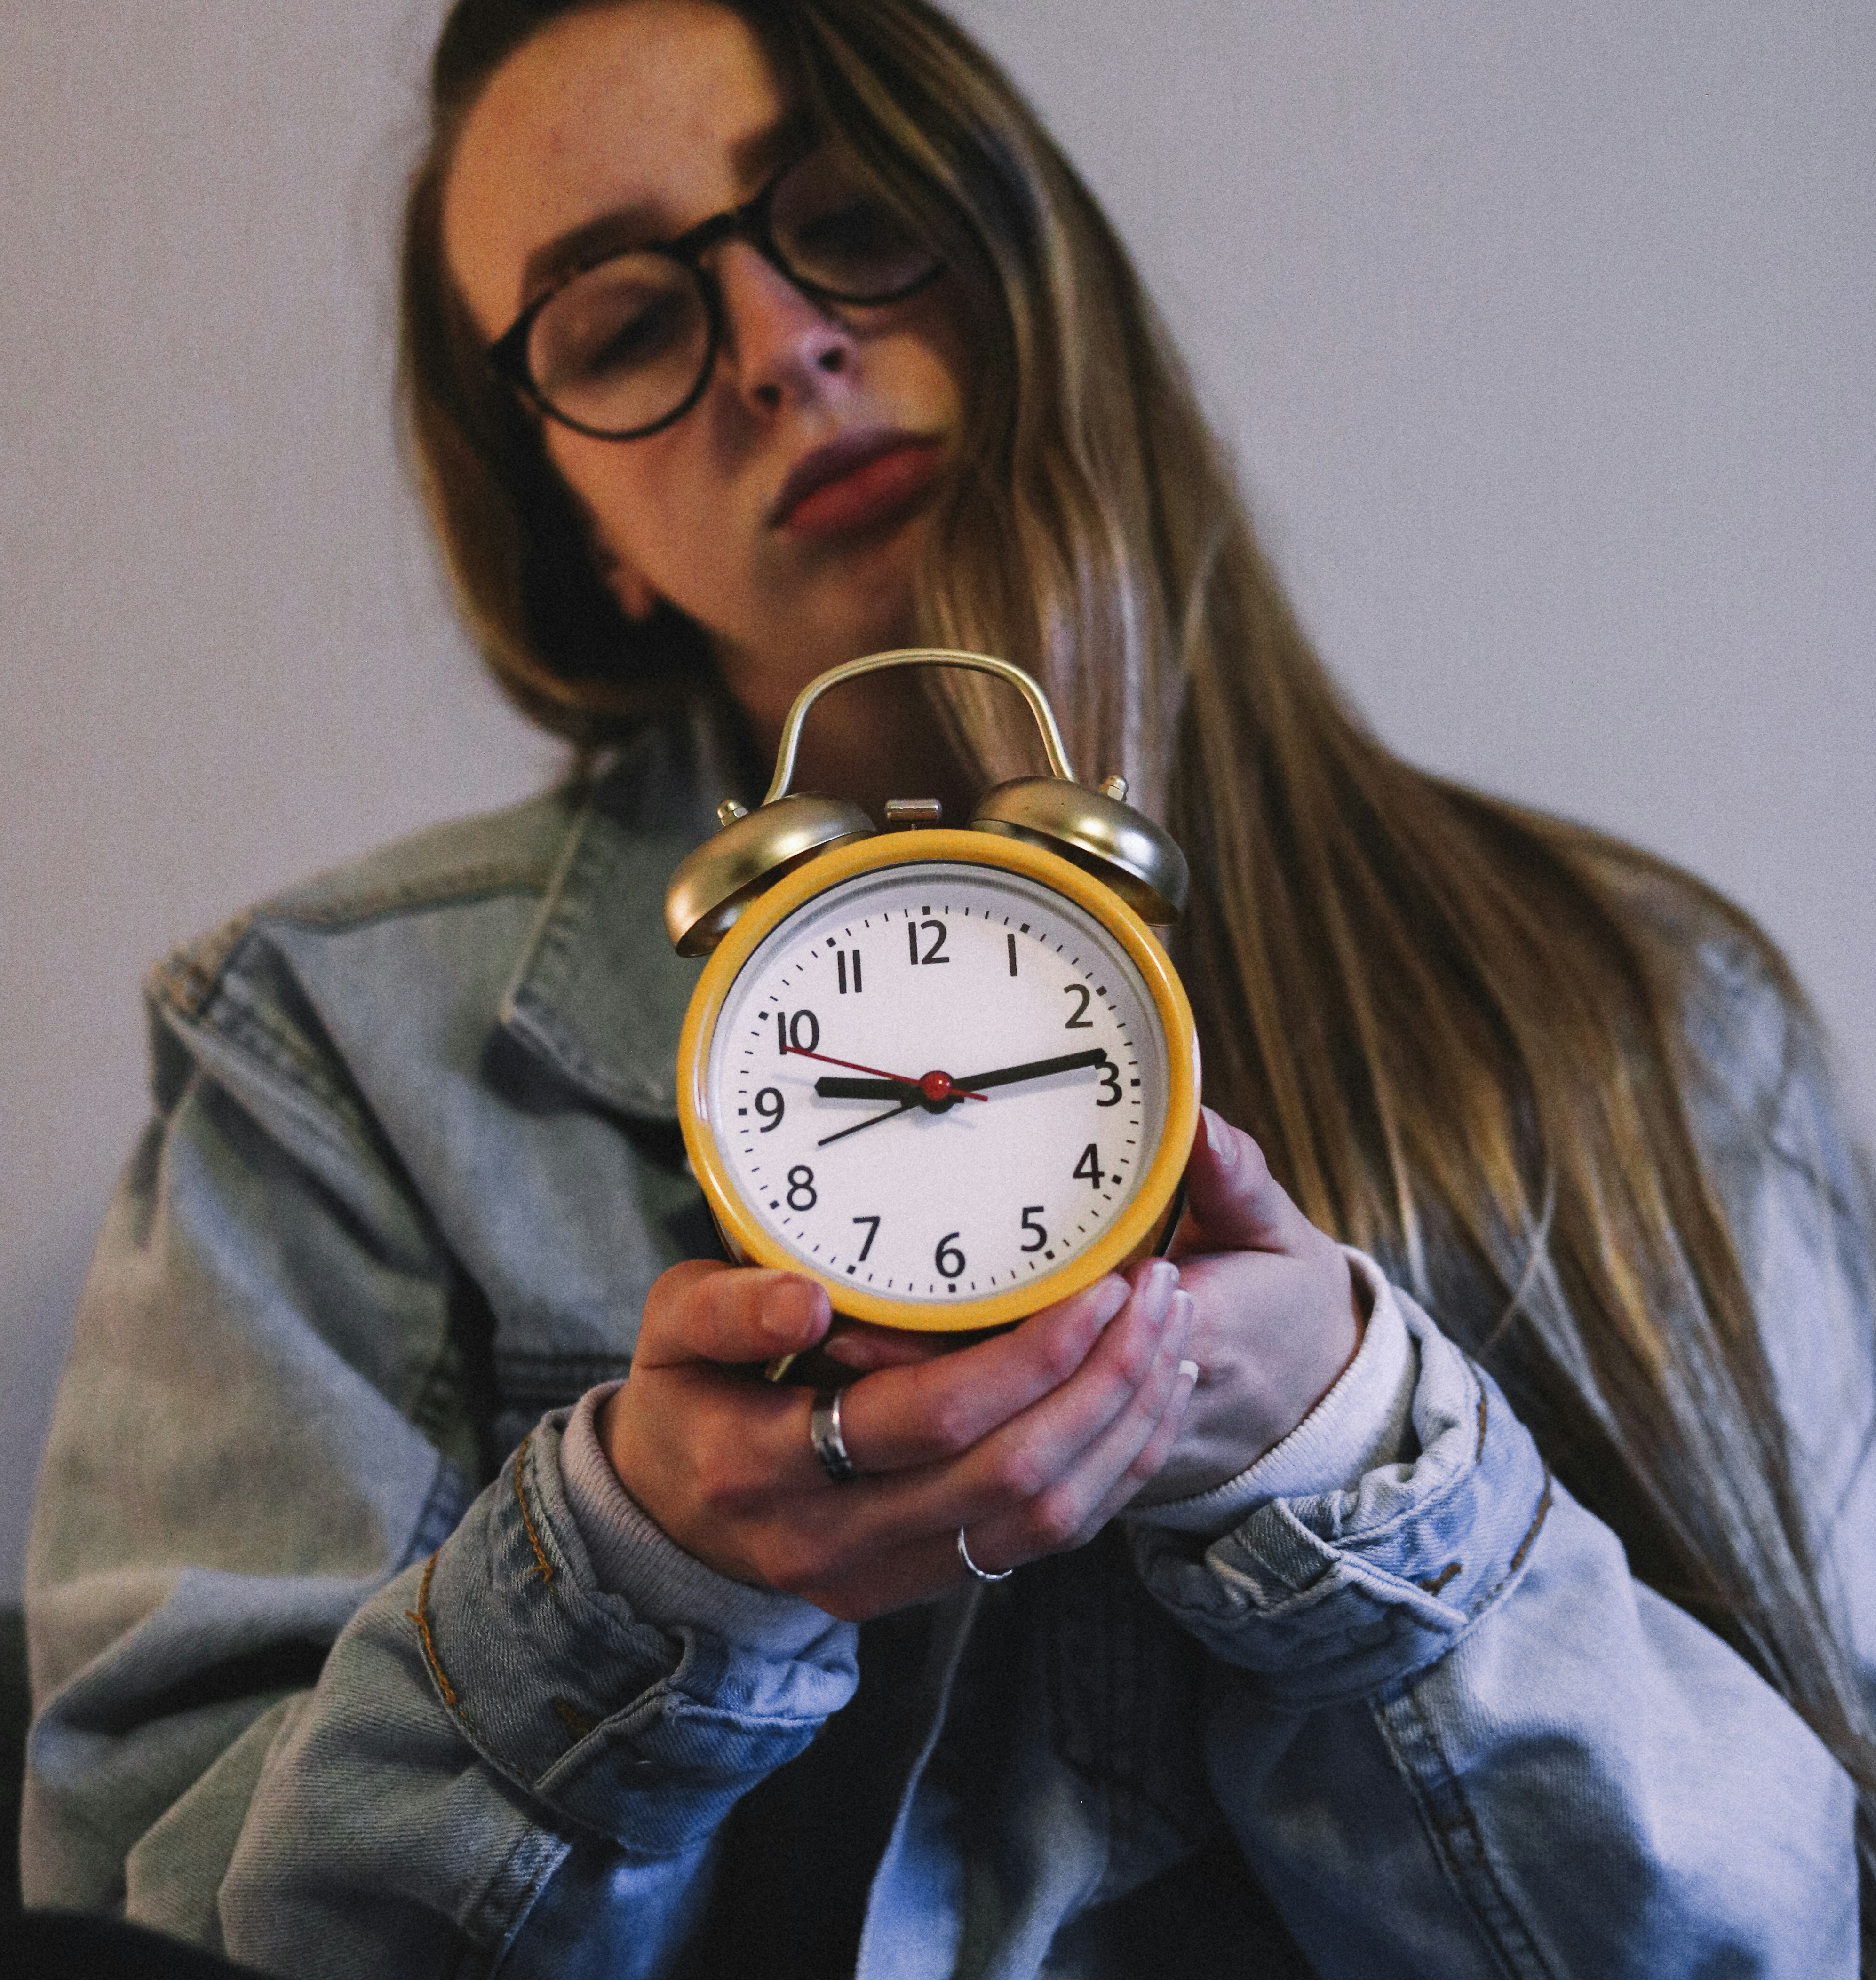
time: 9:13
